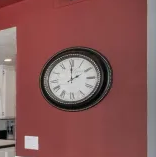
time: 2:00
